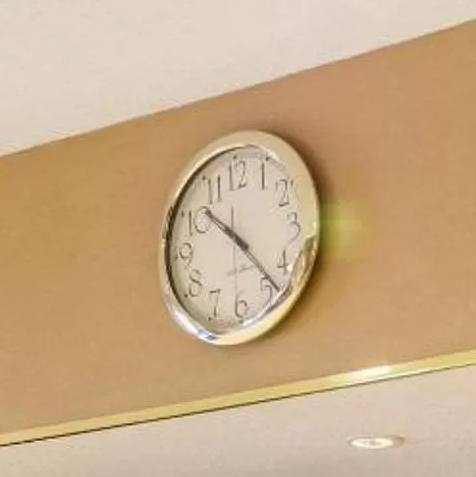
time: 10:23
